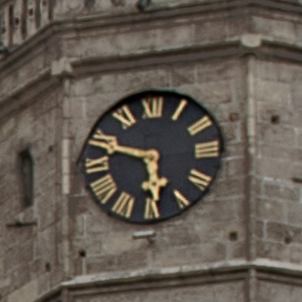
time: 5:48
